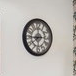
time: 7:44
